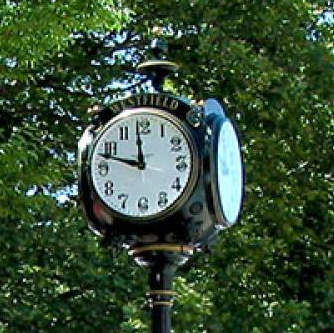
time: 11:47
